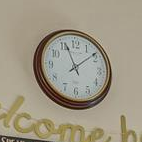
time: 11:08
